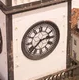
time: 2:38
